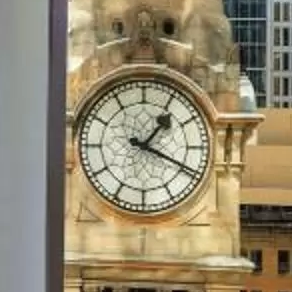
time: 1:19
